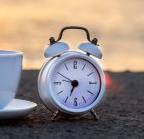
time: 6:50
